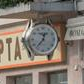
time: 12:36
